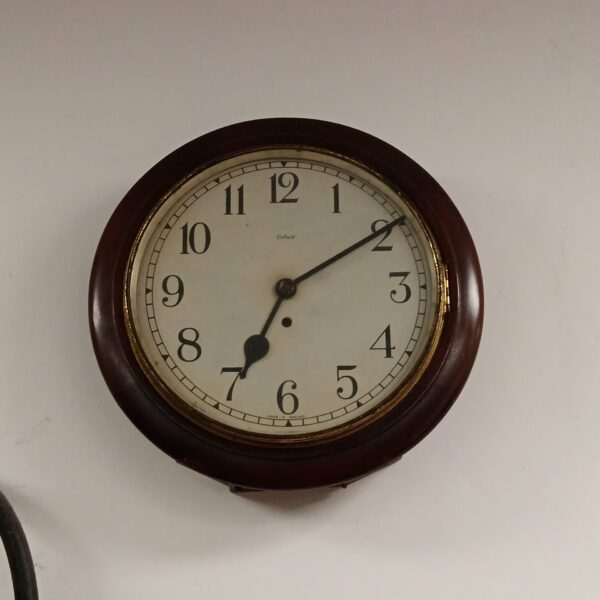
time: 7:09
